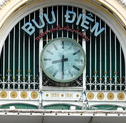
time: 8:30
